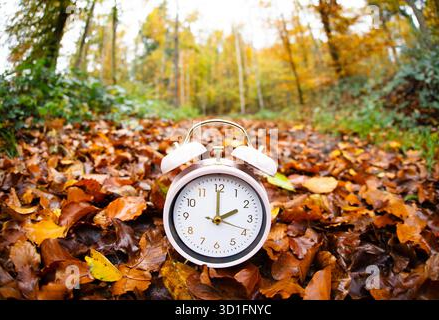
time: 2:00
